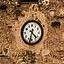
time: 4:32
